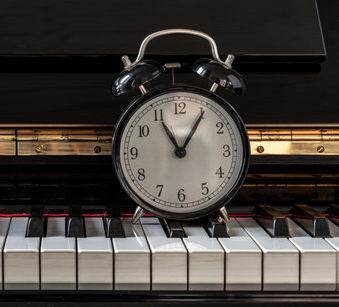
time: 11:05
